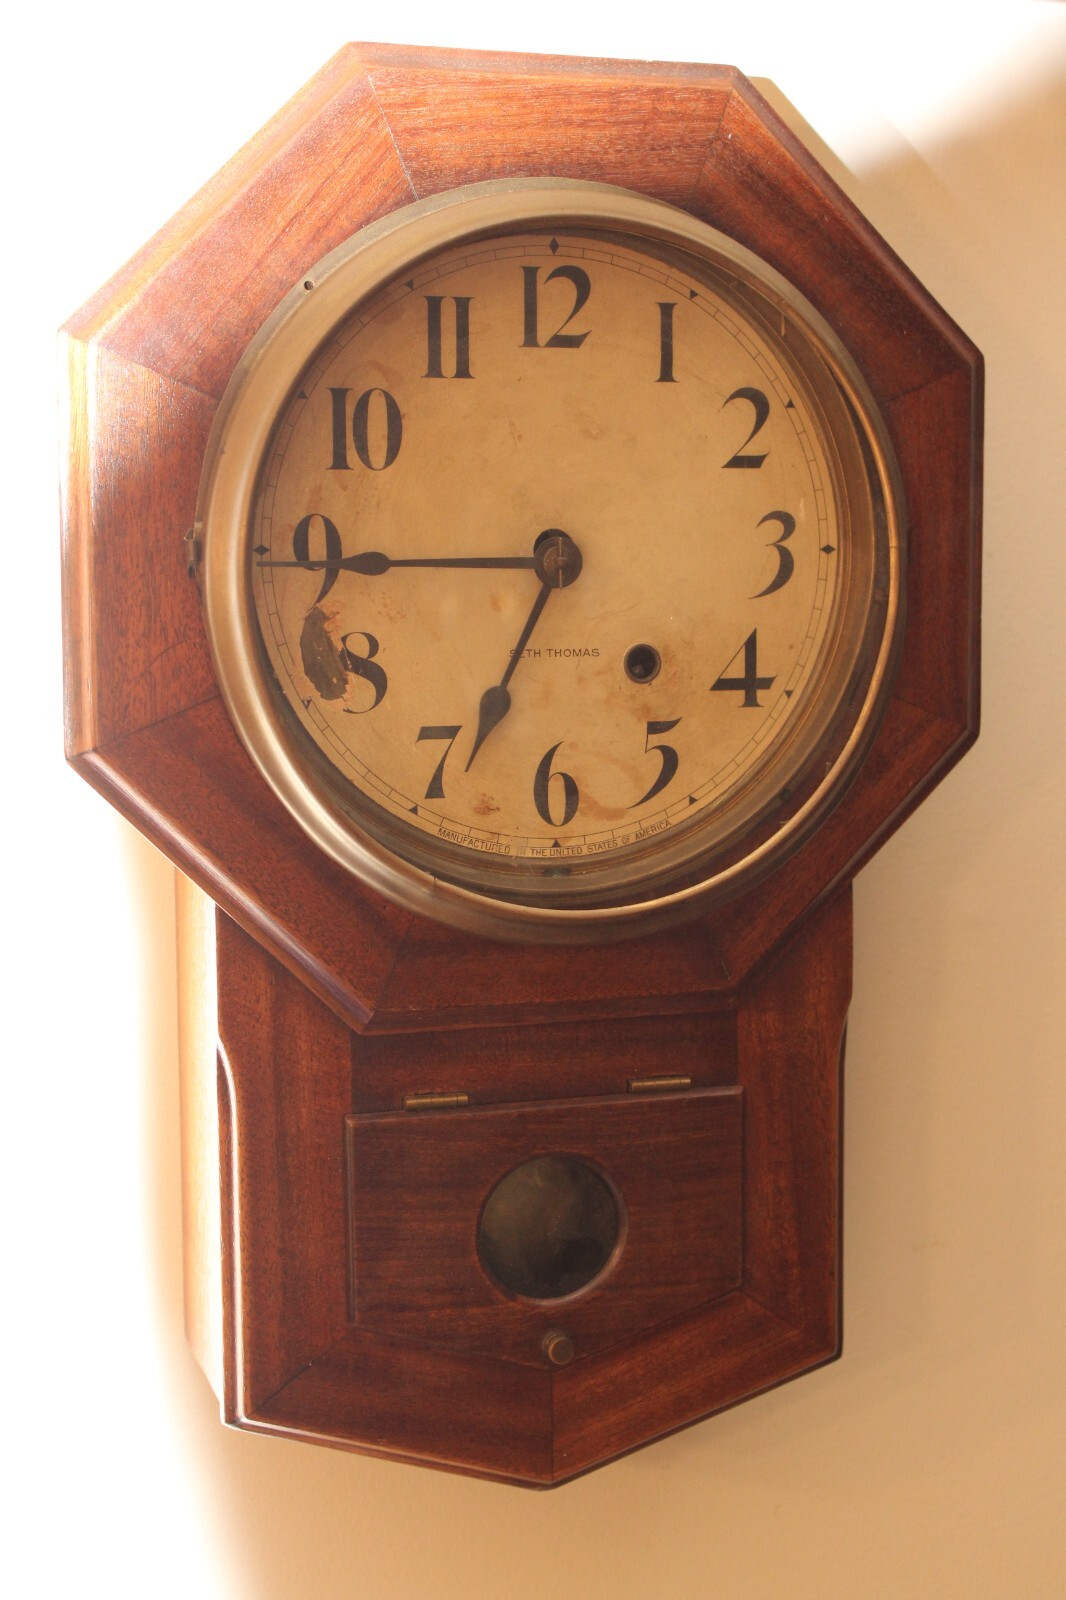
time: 6:44
